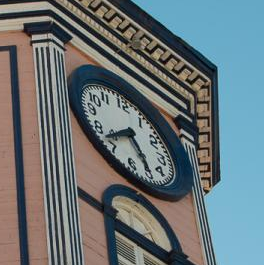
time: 5:38
